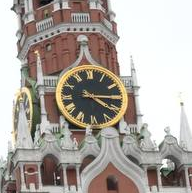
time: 4:14
